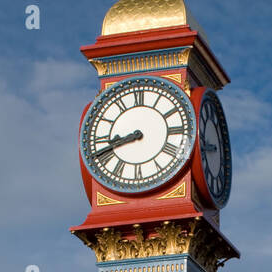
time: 8:41
